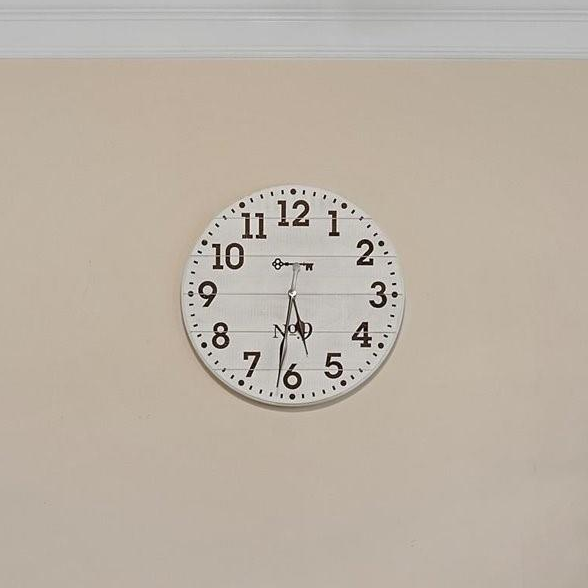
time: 5:31
